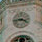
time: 3:43
